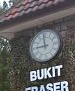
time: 8:58
